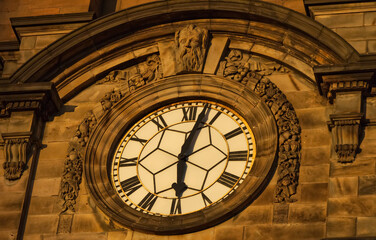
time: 12:29
